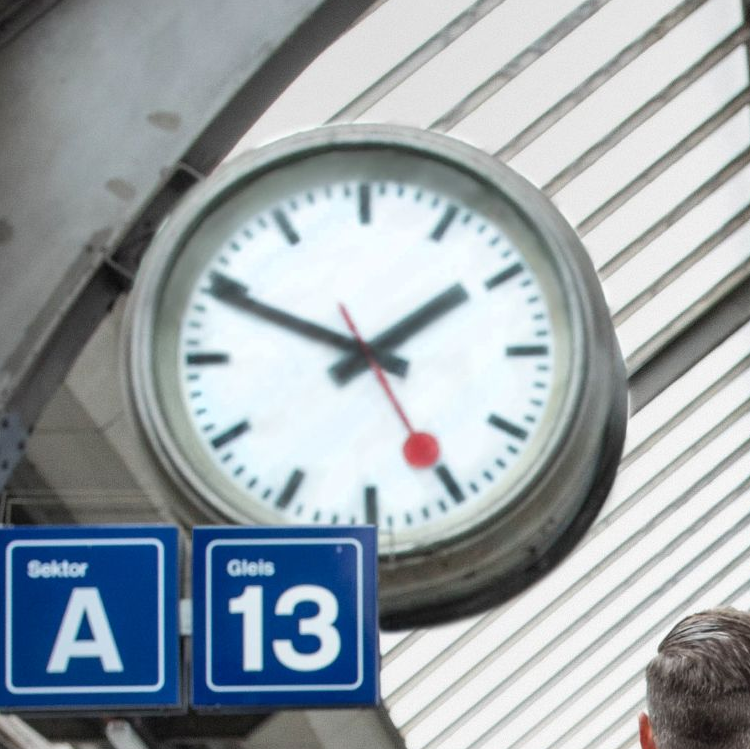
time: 1:49
